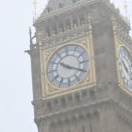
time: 10:19
